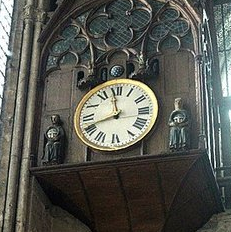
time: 11:41
